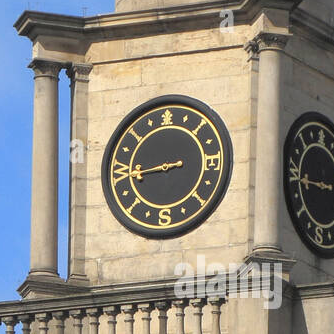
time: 8:43
